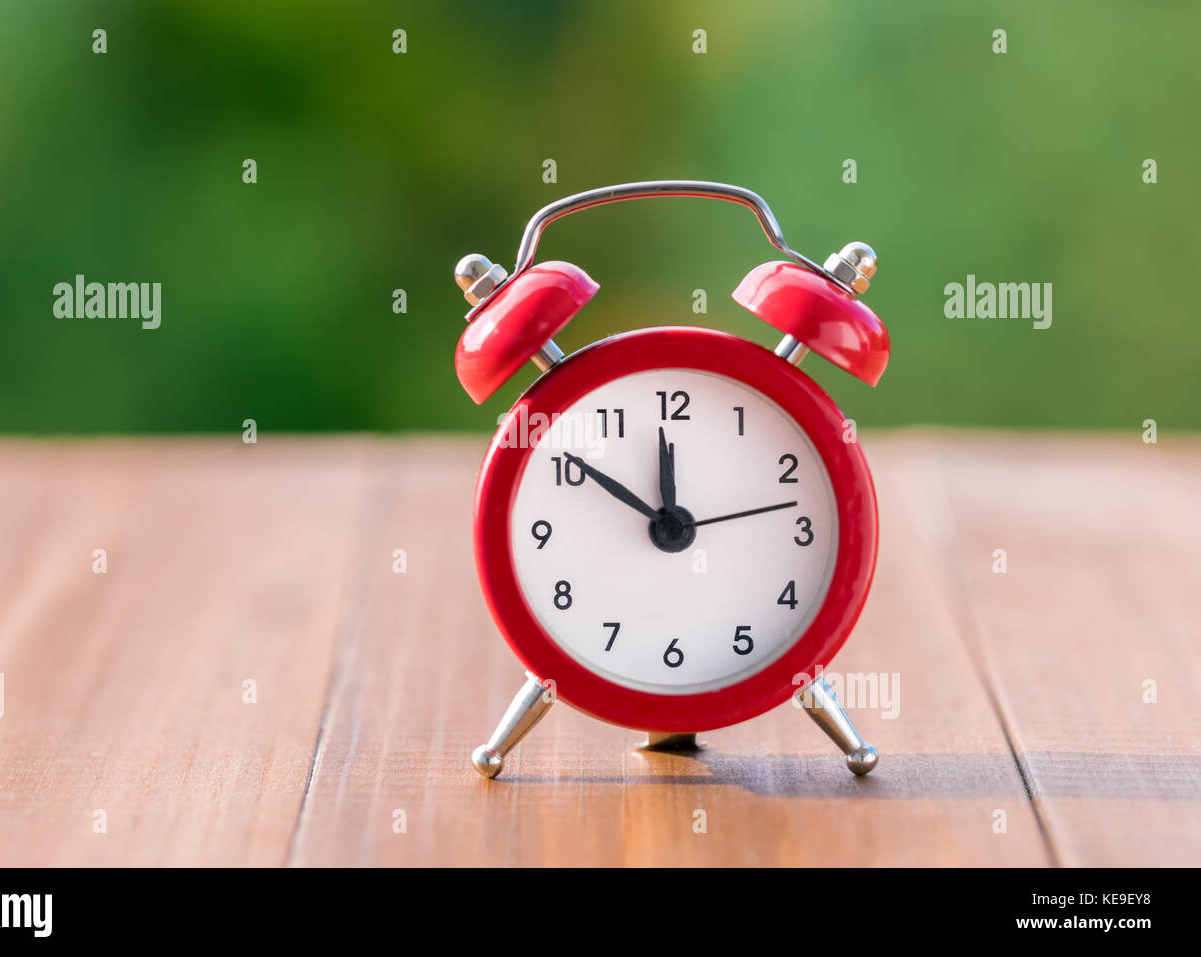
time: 11:50
